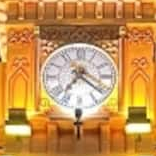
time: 7:21
